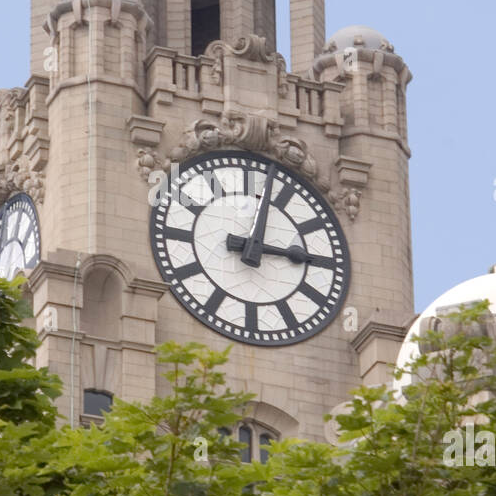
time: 3:02
